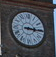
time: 3:15
